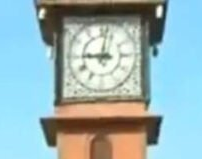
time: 9:01
